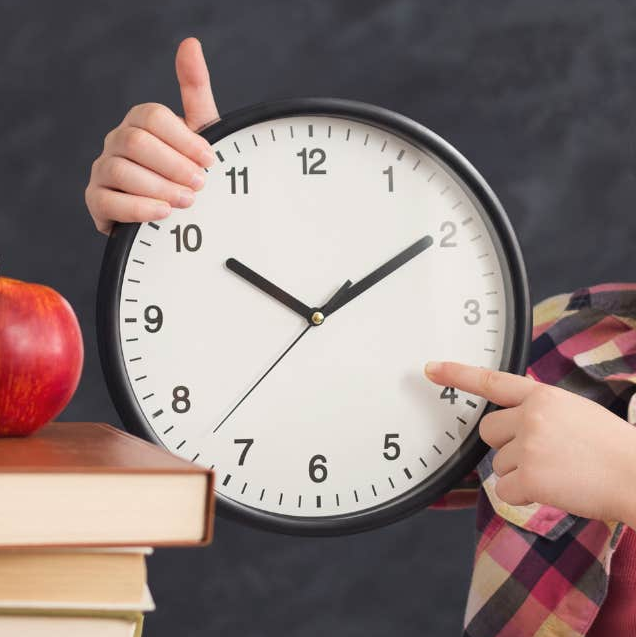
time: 10:09
